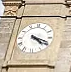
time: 4:18
